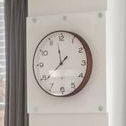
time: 11:38
